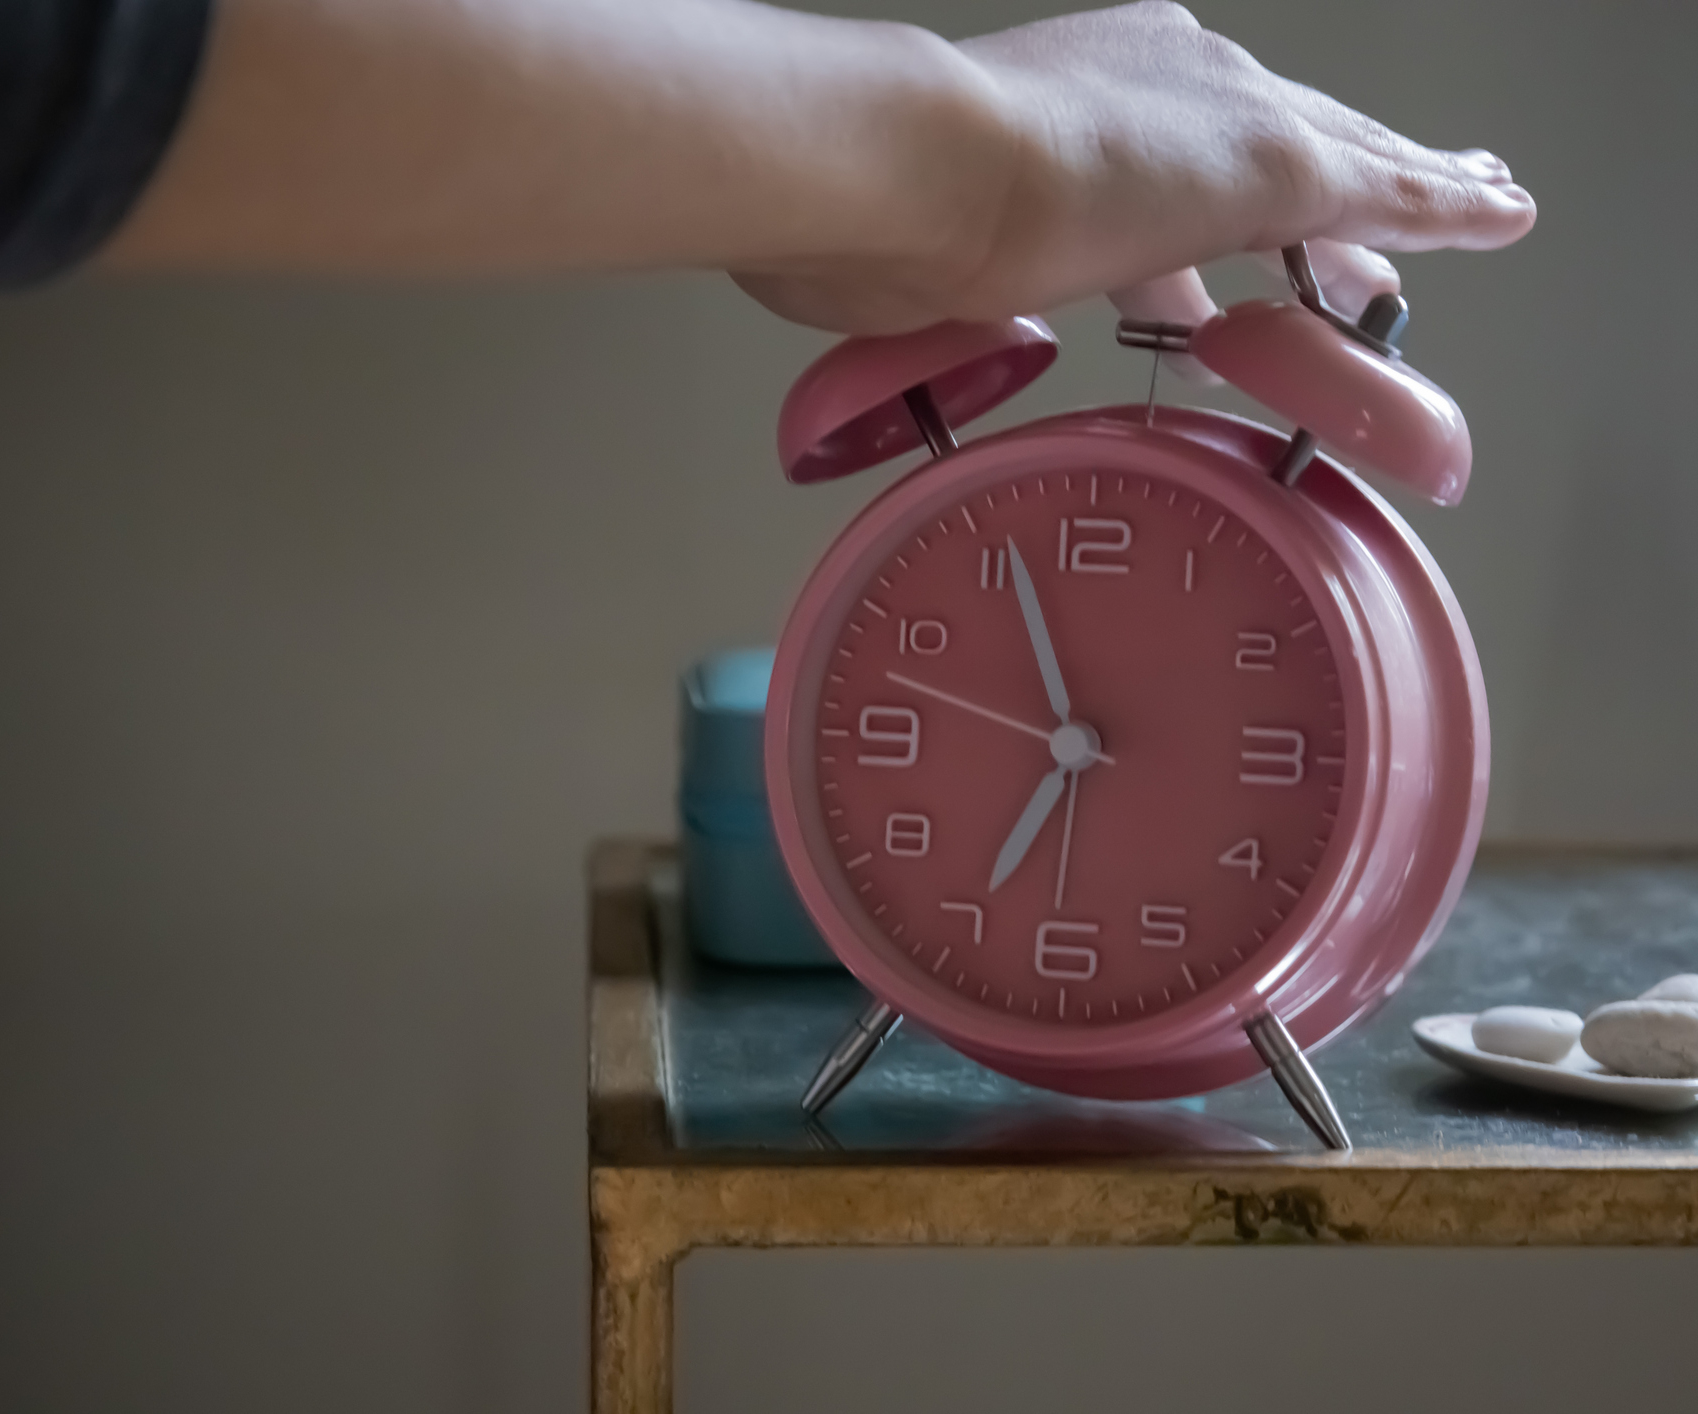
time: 6:56
